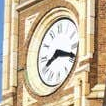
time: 8:18
